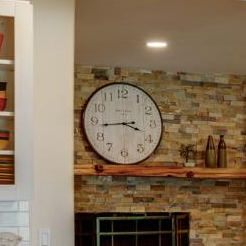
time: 3:43
